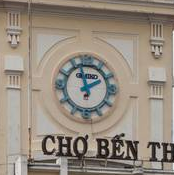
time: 1:57
